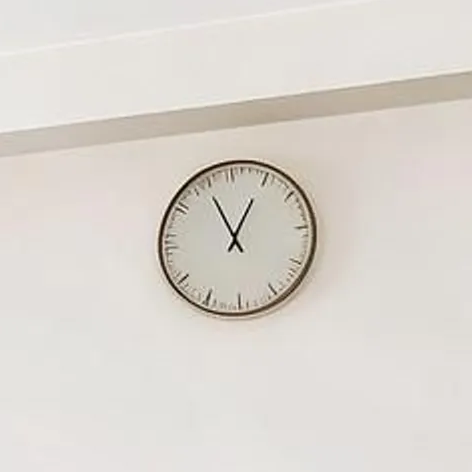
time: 12:55
